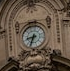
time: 8:32
